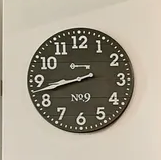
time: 8:42
